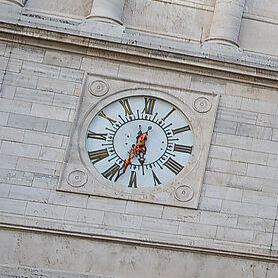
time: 5:32
